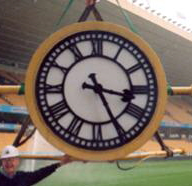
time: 3:25
